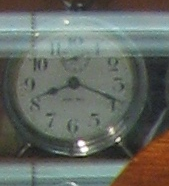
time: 8:19
